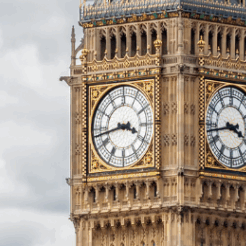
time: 3:43
